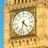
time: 4:32
